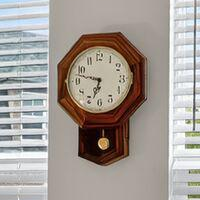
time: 6:47
